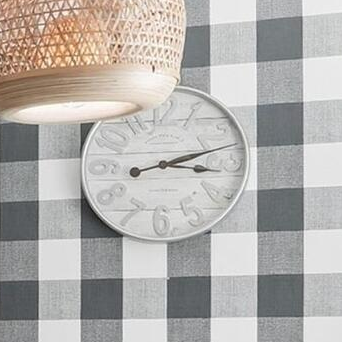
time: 3:12
